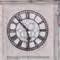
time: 10:28
